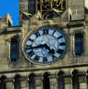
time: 4:42
